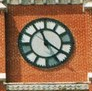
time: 11:20
